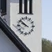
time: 9:51
